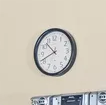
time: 10:41
